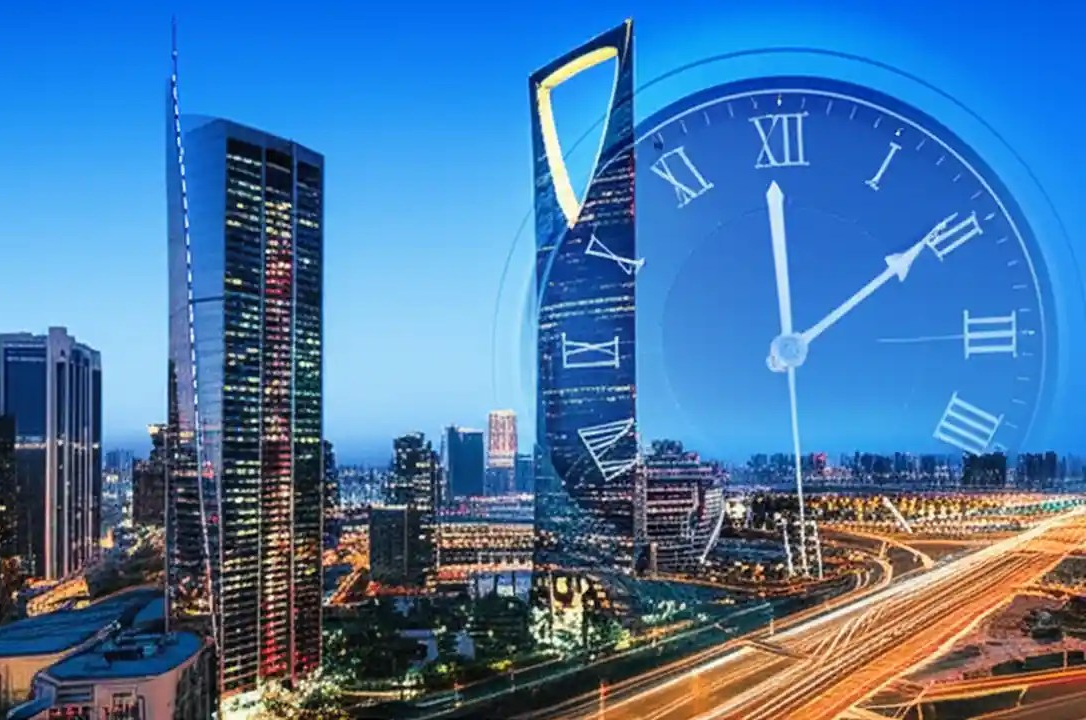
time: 12:09
